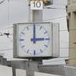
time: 3:00
